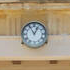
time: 12:55
